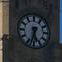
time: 5:33
